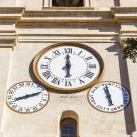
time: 5:59
